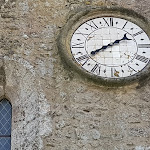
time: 1:39
